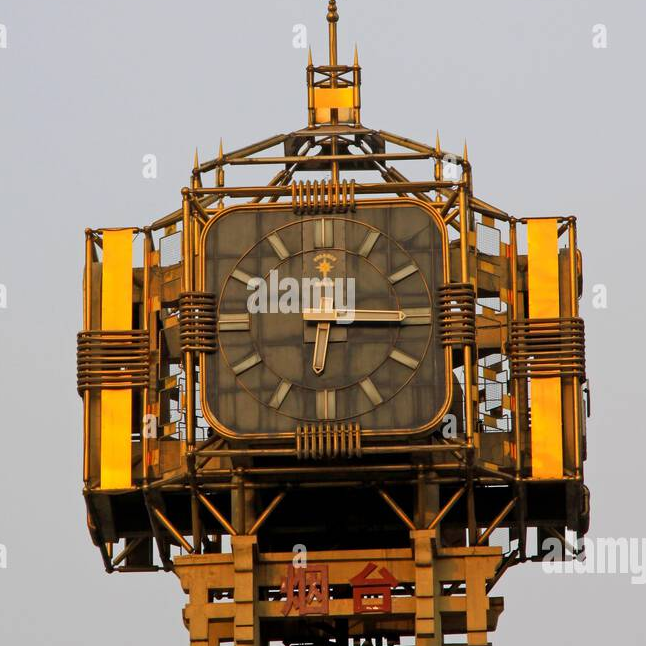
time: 6:15
